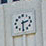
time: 2:30
